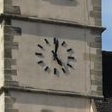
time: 5:01
